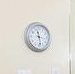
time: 11:28
